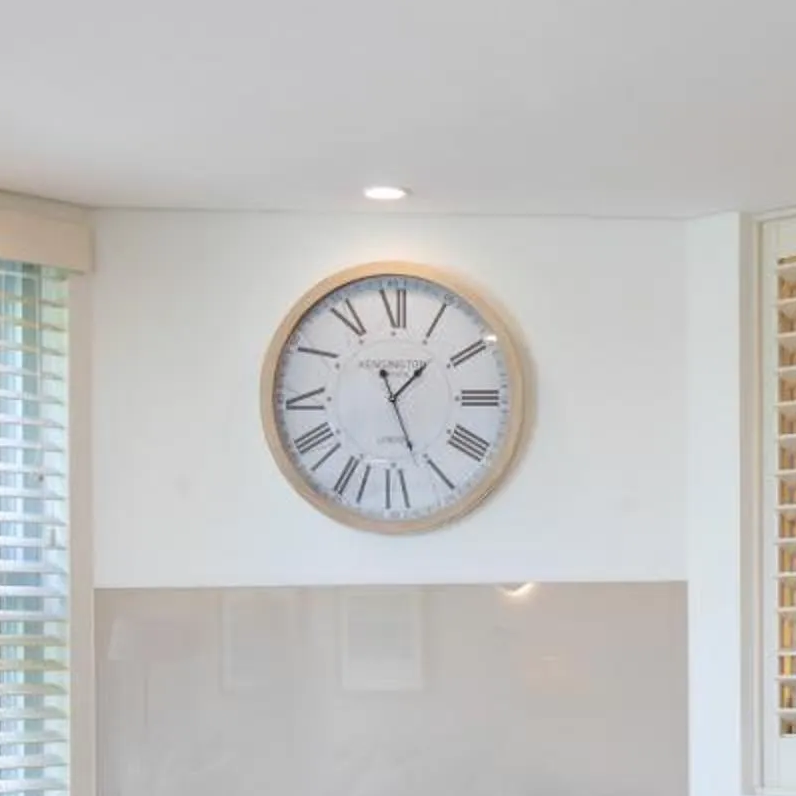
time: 1:26
